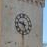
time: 9:25
